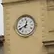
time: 12:40
